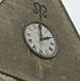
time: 1:59
